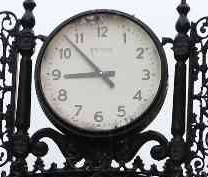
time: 8:52
